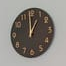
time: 12:59
